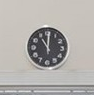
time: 11:00
